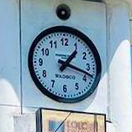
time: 1:17
